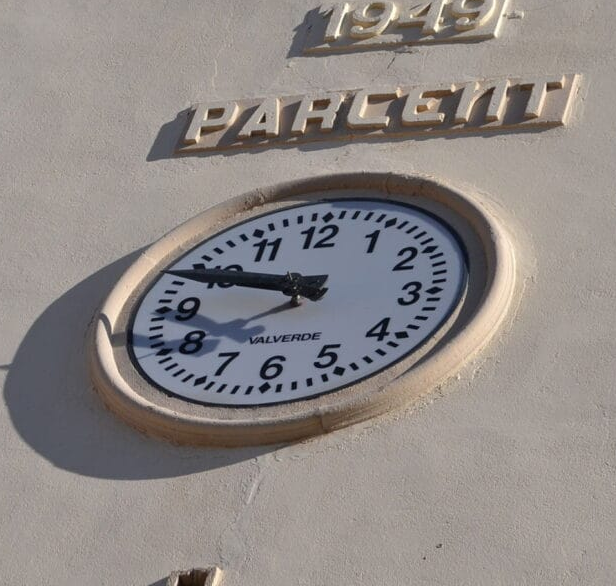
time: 9:48
